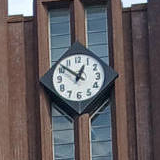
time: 12:51
